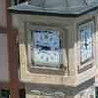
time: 8:46
